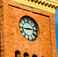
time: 2:43
